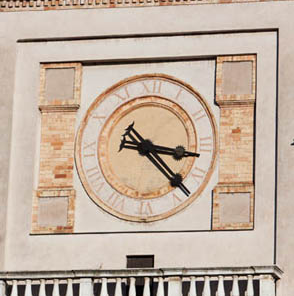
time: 3:22
